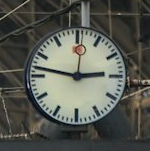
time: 2:46
